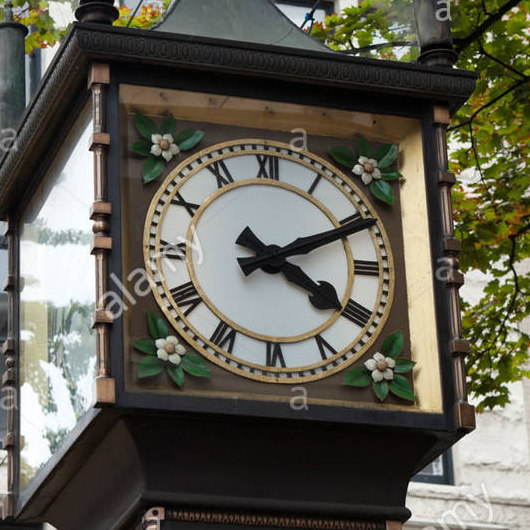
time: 4:10
